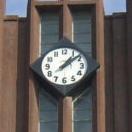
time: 1:08
